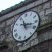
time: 11:17
